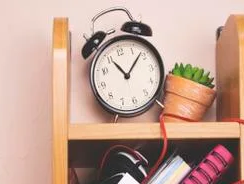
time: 11:08
